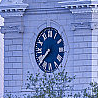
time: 7:37
